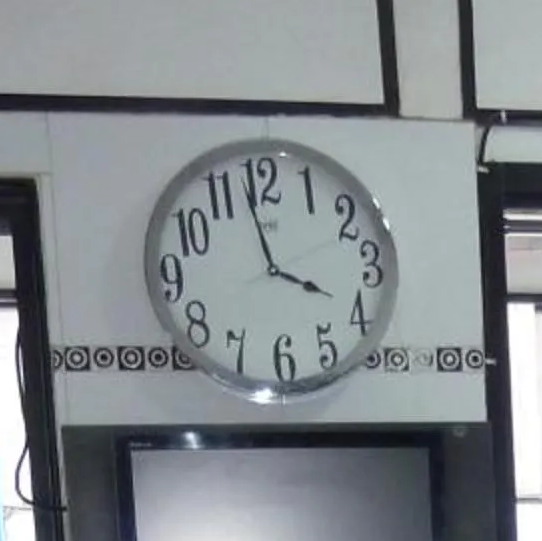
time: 3:58
